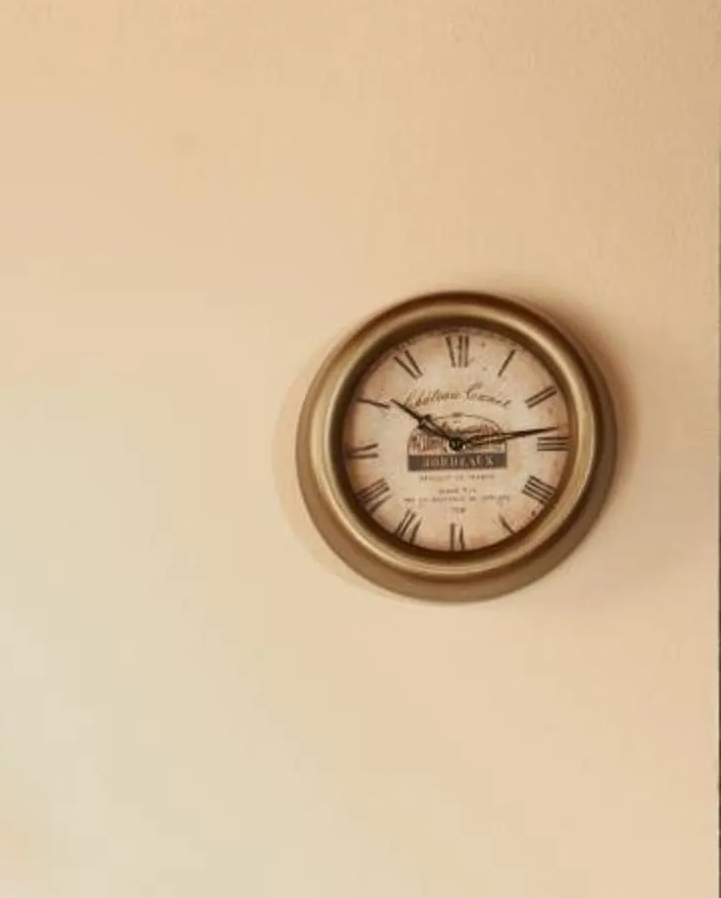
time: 10:13
